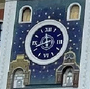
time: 11:41
